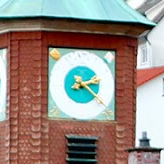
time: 2:21
